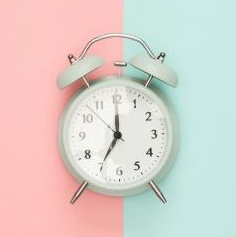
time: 7:00
